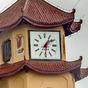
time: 1:08
